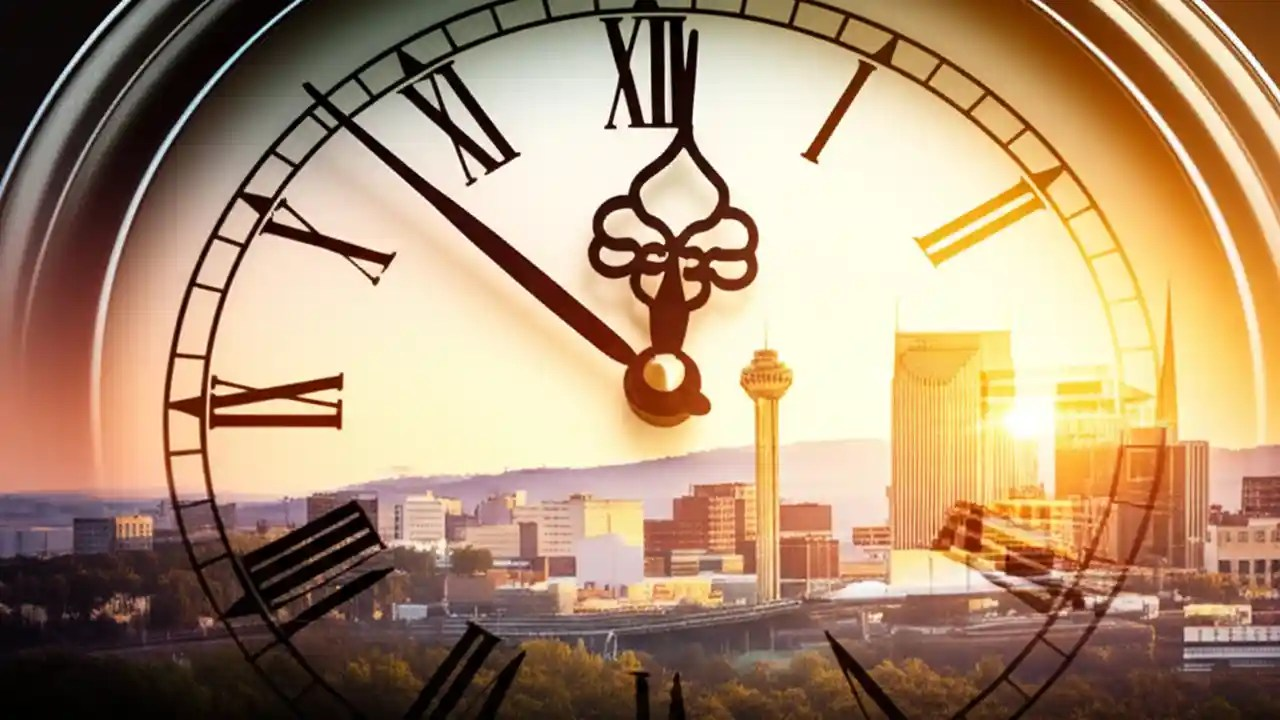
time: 11:52
